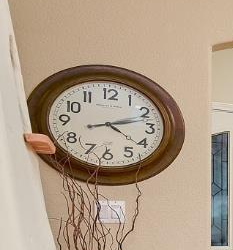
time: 4:12
